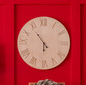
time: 5:53
